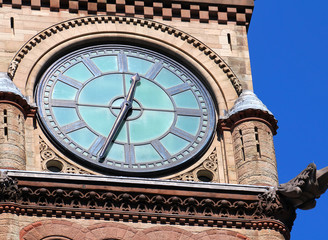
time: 12:33
